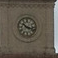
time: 10:17
